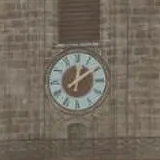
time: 12:09
